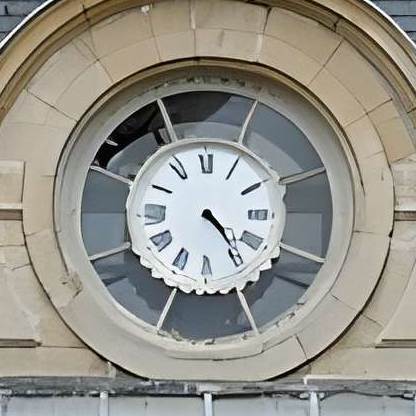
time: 4:23
